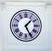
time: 1:25
